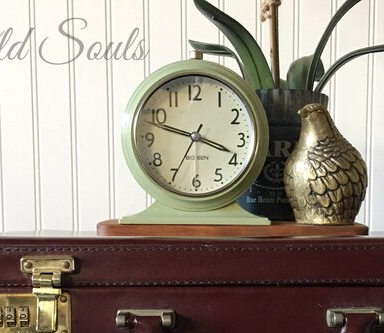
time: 3:48
